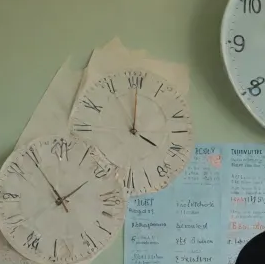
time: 4:00
